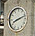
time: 8:12
